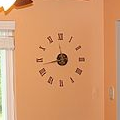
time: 11:43
